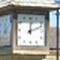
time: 12:11
